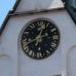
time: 12:41
